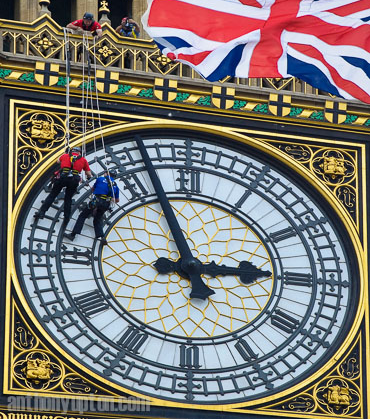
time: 2:56
